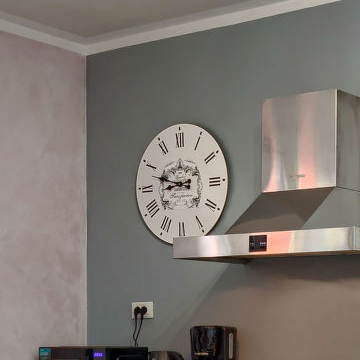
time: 8:47
